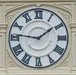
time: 1:46
